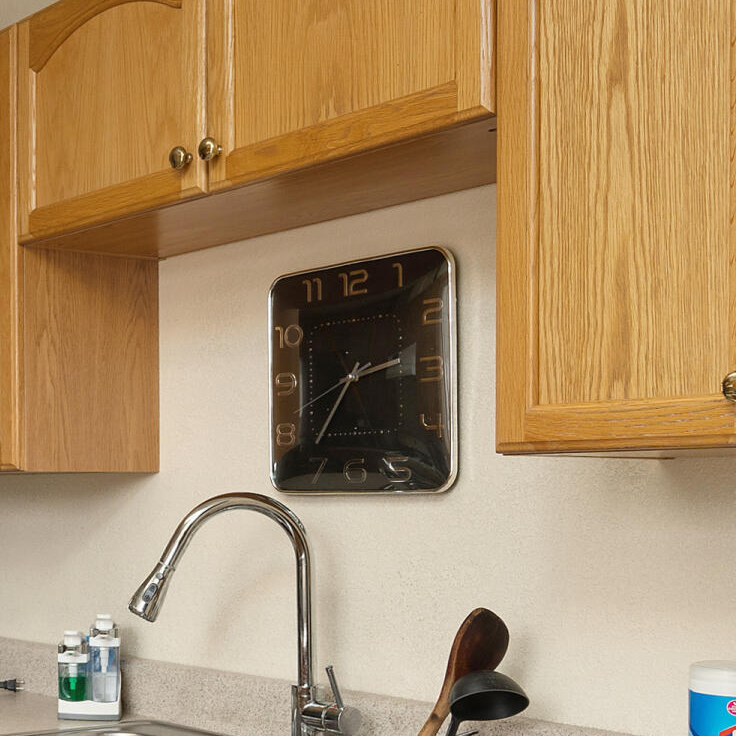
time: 2:36
